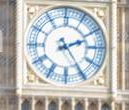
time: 2:24
